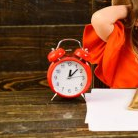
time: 12:07
